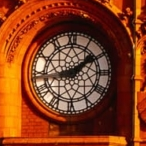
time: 1:43
